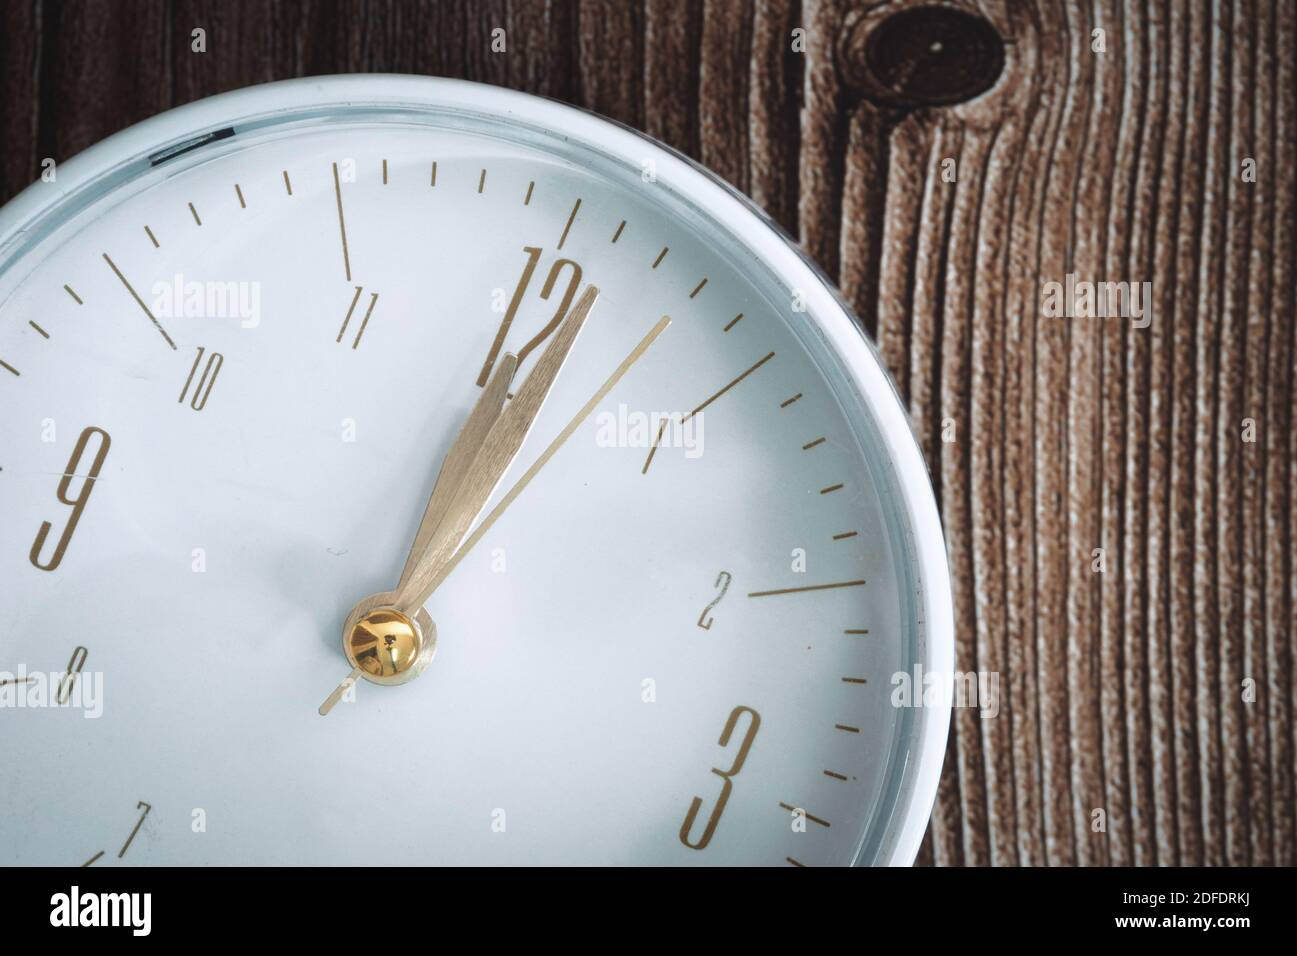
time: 1:06
